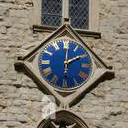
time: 2:00
